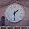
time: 1:30
